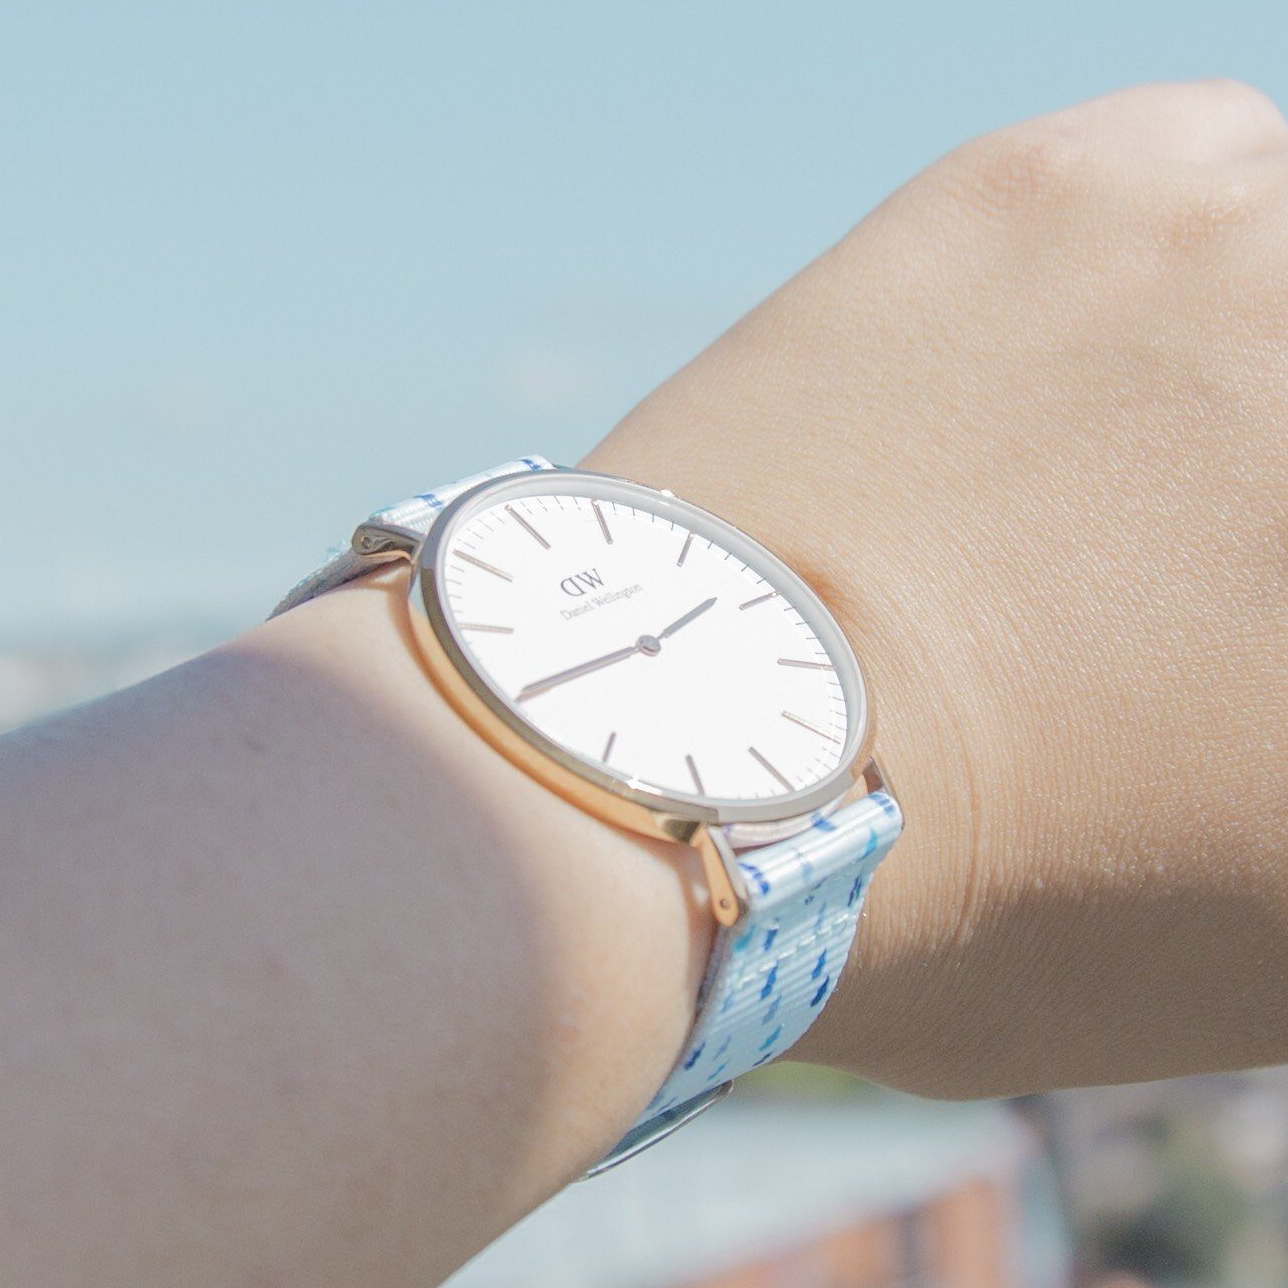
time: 1:40
